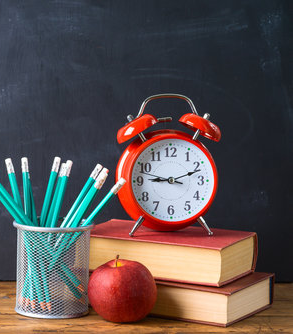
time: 9:11
